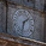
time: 1:32
